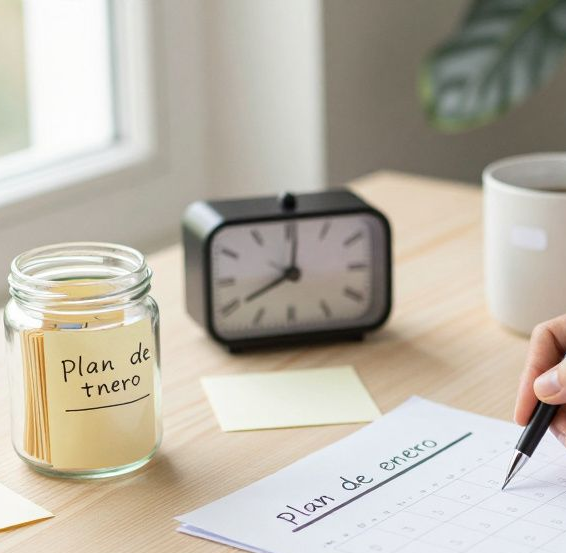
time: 8:00
